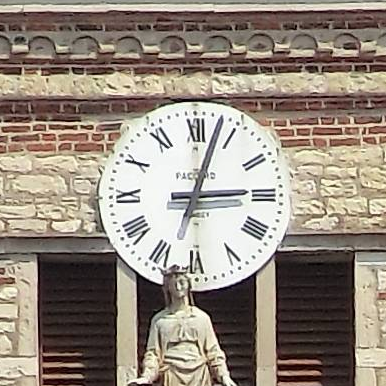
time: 3:02
